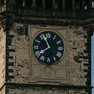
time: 7:56
